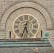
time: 5:33
